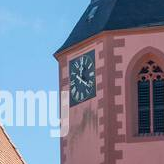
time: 12:21
